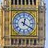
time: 12:20
